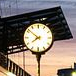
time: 7:51
